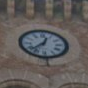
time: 12:37
